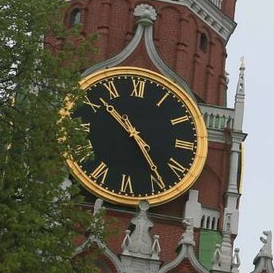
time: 10:24
